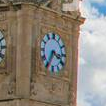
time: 3:35
